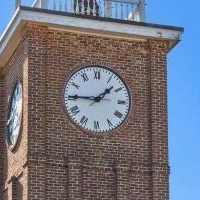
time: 1:45
